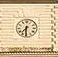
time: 7:30
